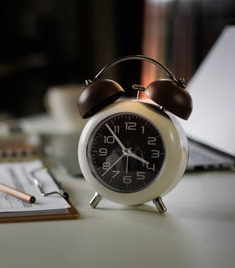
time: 3:53
